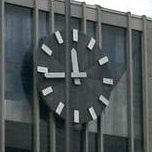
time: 11:44
